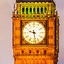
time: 9:28
